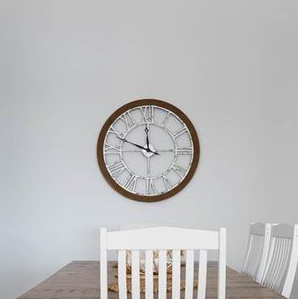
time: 11:48
